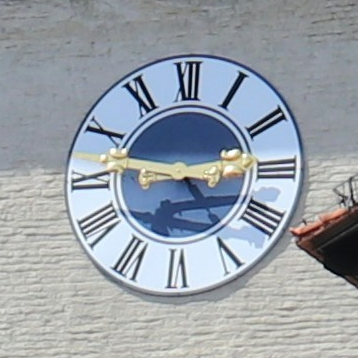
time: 2:46
